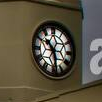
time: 10:28
